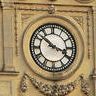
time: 3:51
